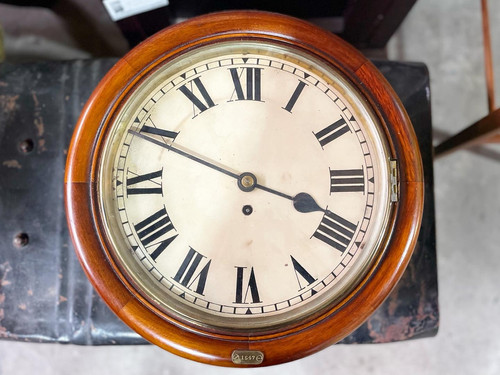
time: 3:49
